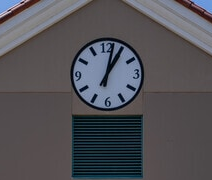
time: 1:02
